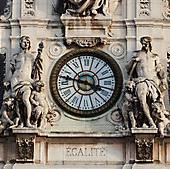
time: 3:47
